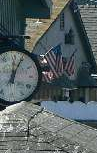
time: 12:04
